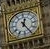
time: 12:24
